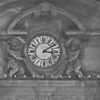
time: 3:09
